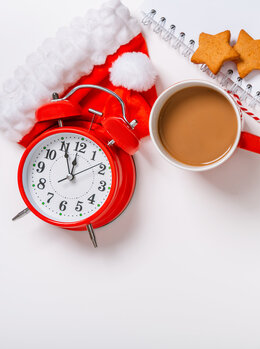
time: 11:55
